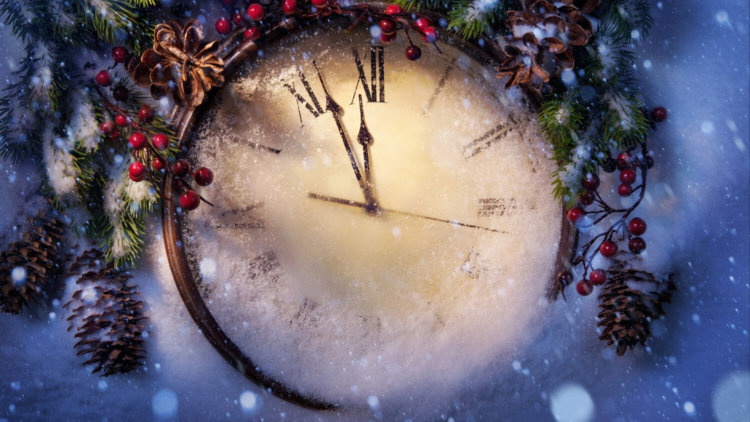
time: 11:56
